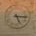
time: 5:15
